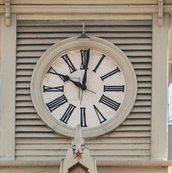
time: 10:00
